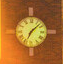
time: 7:07
